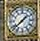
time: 1:38
